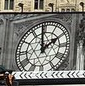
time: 1:59
